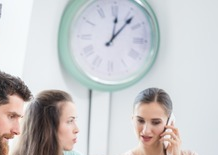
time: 12:06
